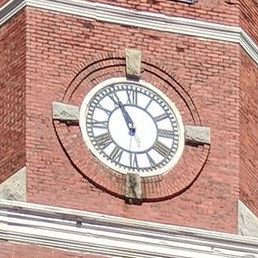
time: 10:55
